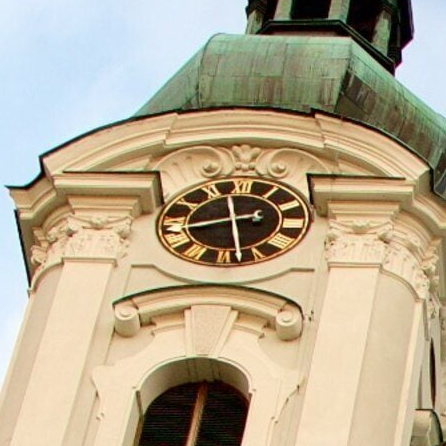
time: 8:27
